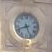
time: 8:26
